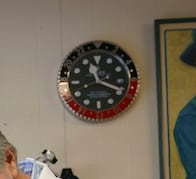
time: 11:18
